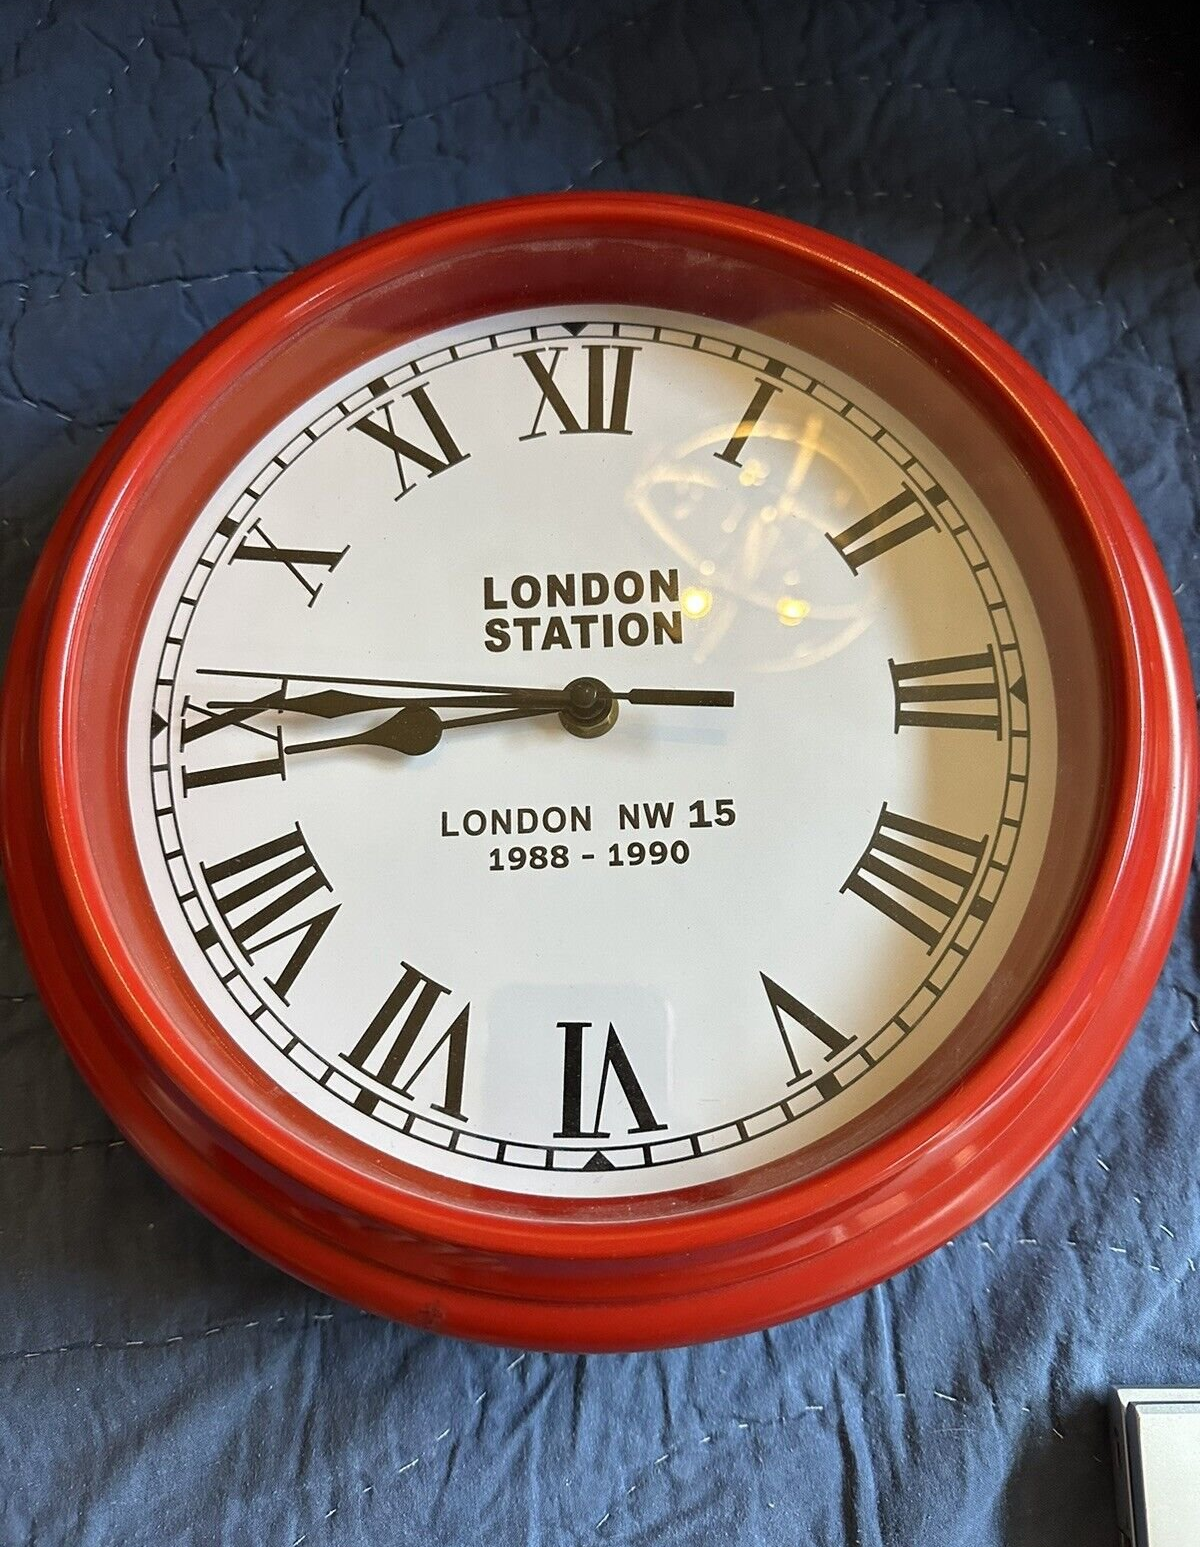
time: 8:45
